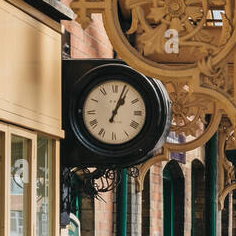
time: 1:03
